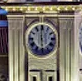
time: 5:59
